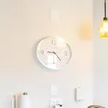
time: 9:23
